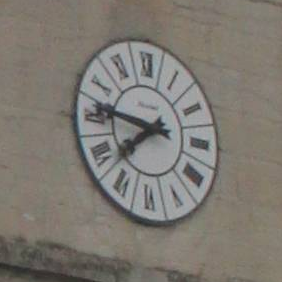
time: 7:46
